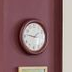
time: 1:46
